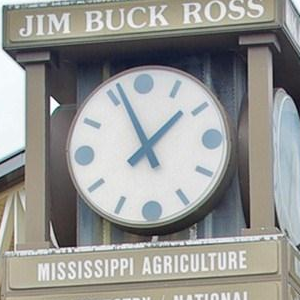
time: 1:56
